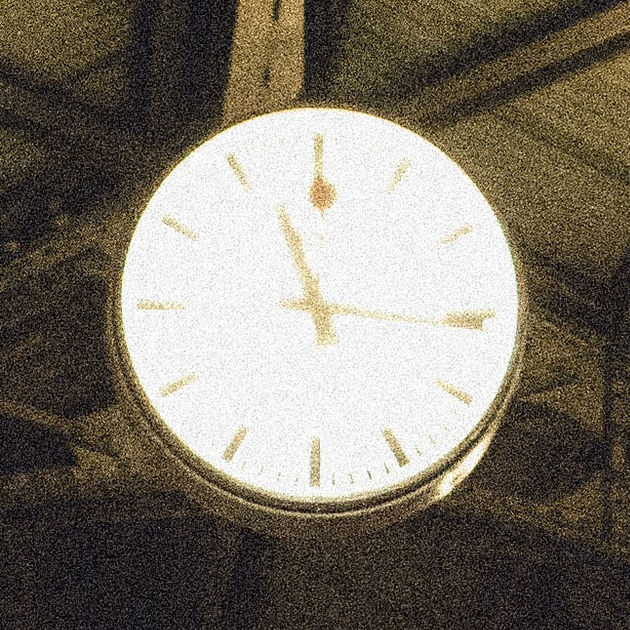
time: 11:15
